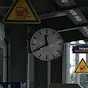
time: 11:40
